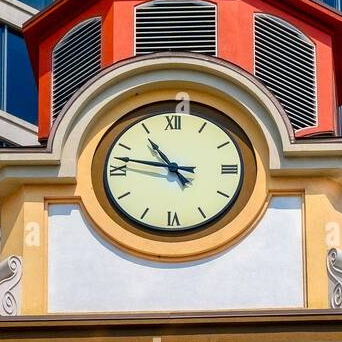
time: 10:47
